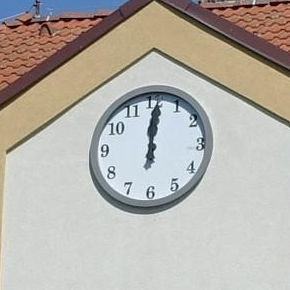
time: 12:00
